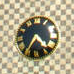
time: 4:35
